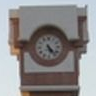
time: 5:23
